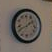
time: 1:40
